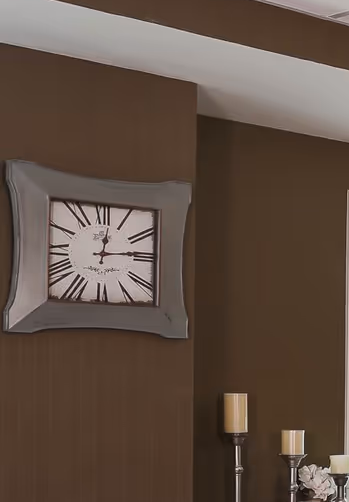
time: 12:13
